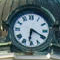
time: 6:19
